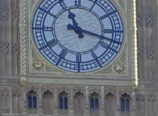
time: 11:17
